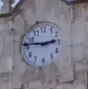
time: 2:46
